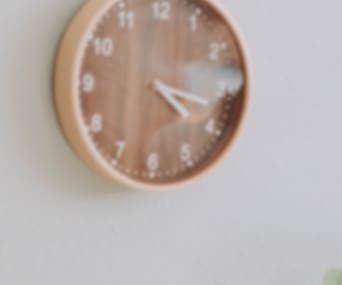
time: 4:17
